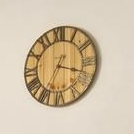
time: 3:34
